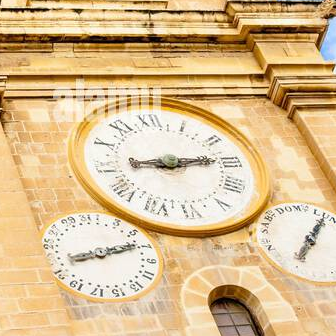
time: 9:13
